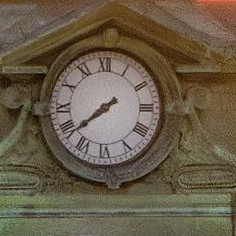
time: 7:38
